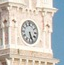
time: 5:26
